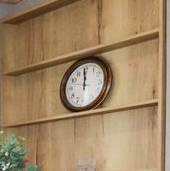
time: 11:59
